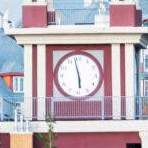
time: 5:57
